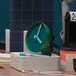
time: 4:04
